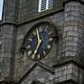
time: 11:35
